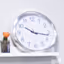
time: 10:16
